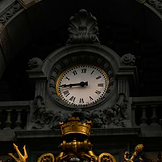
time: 8:44
